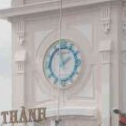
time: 1:57
